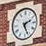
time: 2:26
